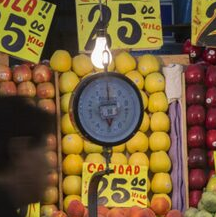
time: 5:59
